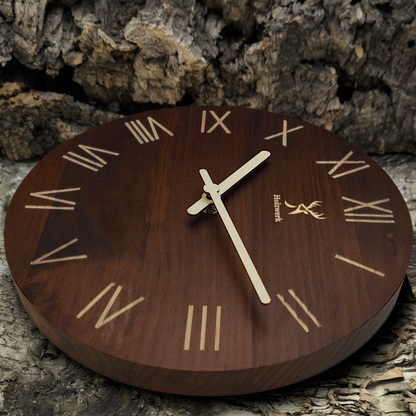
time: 1:26
